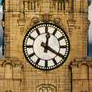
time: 12:20
